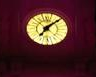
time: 7:08
